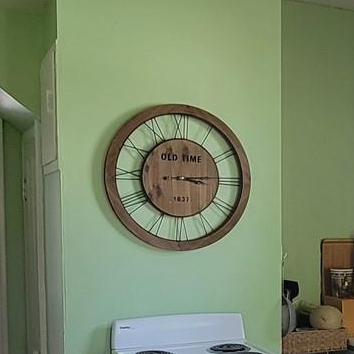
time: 3:14
